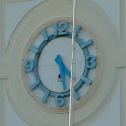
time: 4:28
